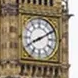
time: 8:10
